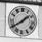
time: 1:39
